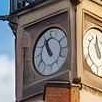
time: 10:56
